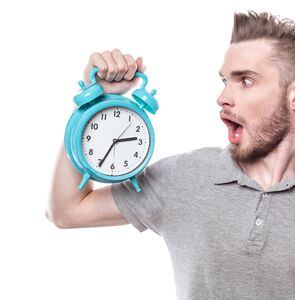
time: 2:34
